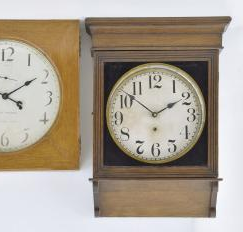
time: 1:51
